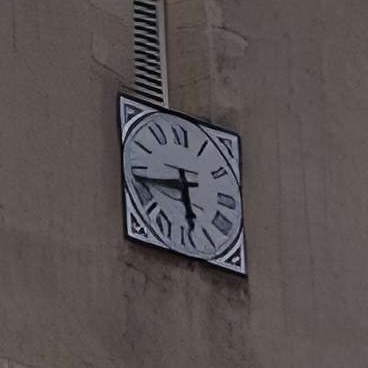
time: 5:43
